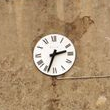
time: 2:33
